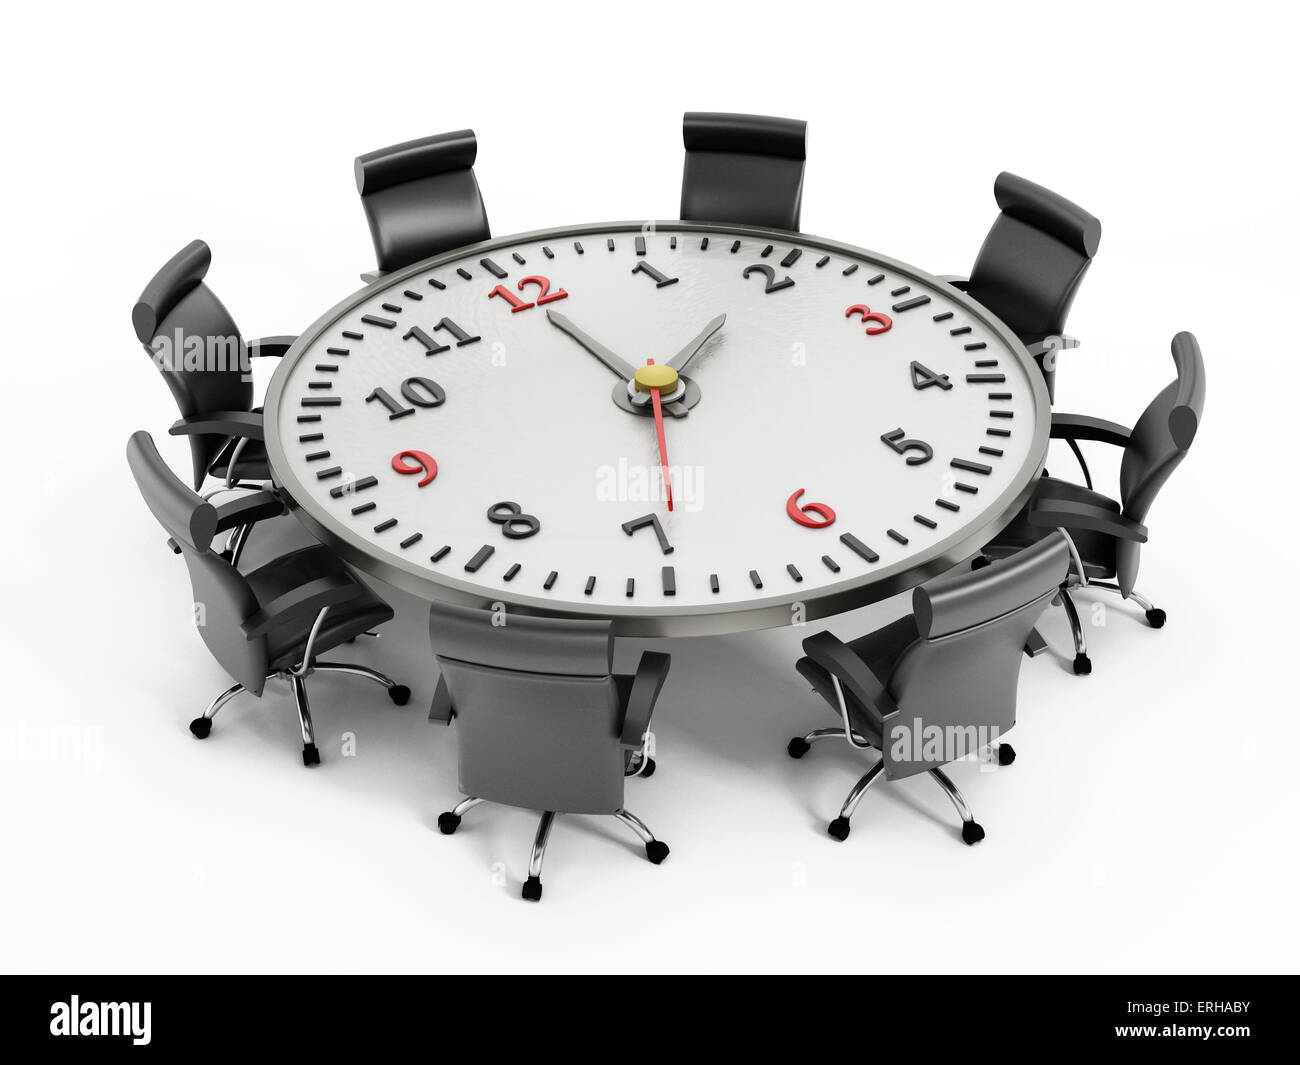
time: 12:54
